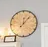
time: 12:06
